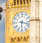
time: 6:17
